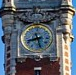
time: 8:27
